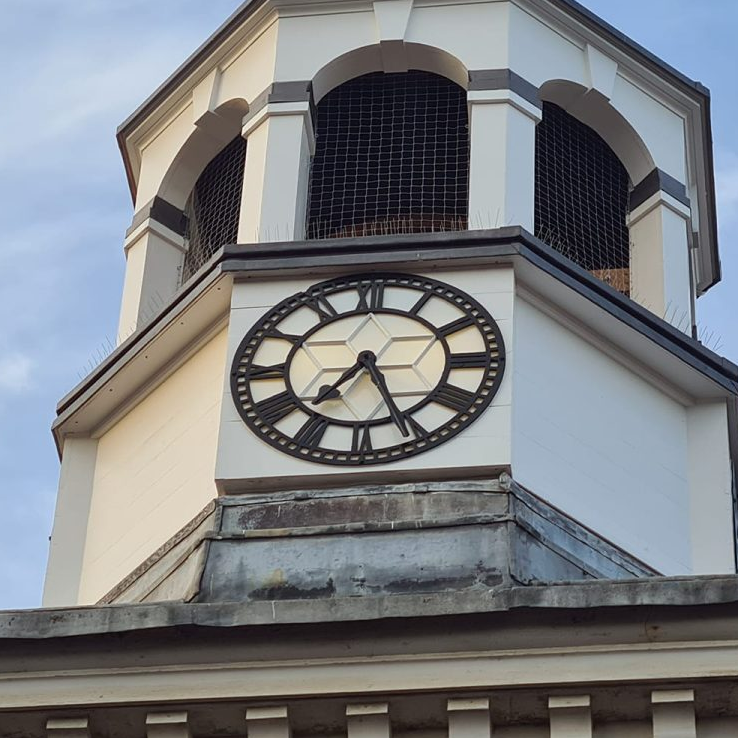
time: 7:25
